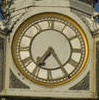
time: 7:24
